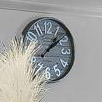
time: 1:08
